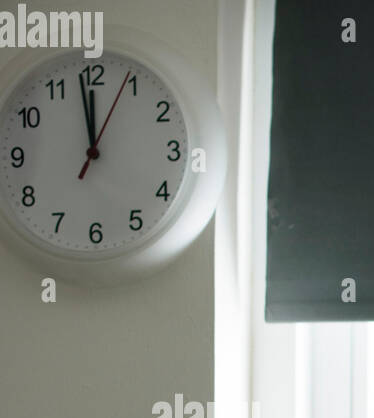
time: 11:58
